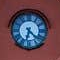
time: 6:22
